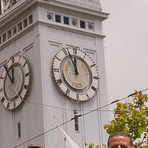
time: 11:56
